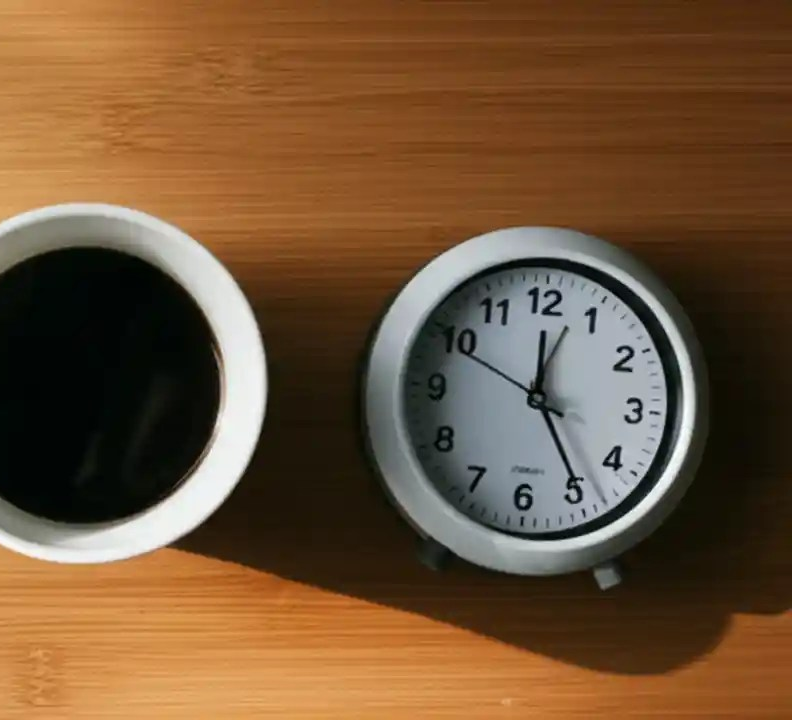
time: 12:24
